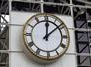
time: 12:08
